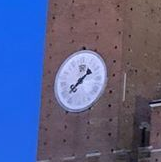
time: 1:37
